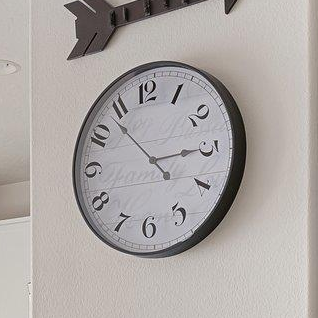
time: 2:53
